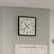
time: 10:37
